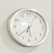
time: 5:38
